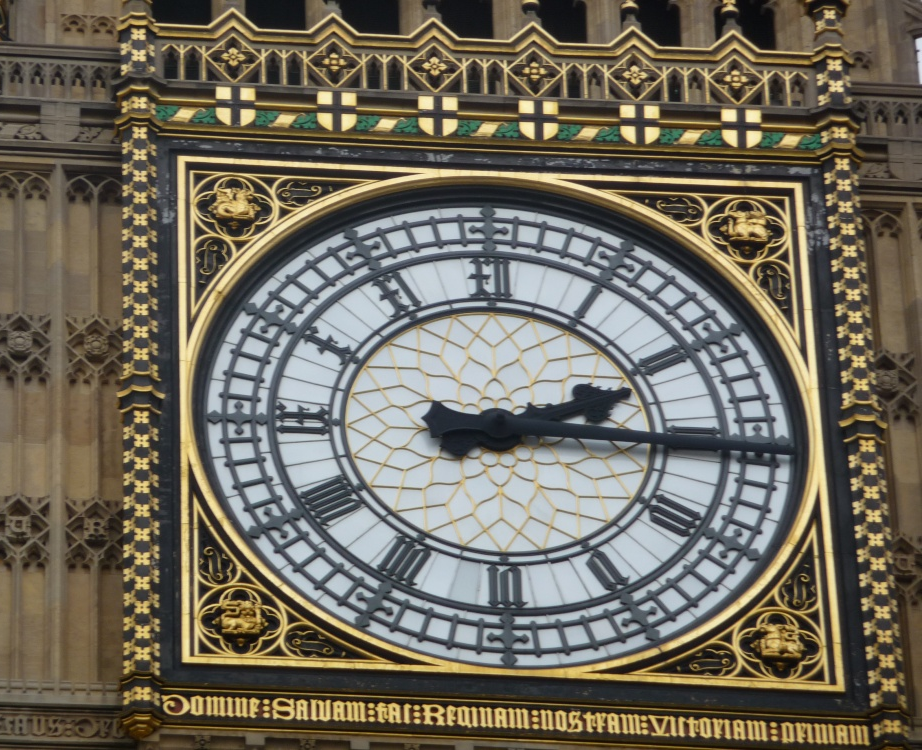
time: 2:15
